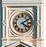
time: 4:09
